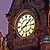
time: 8:07
